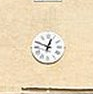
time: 12:48
